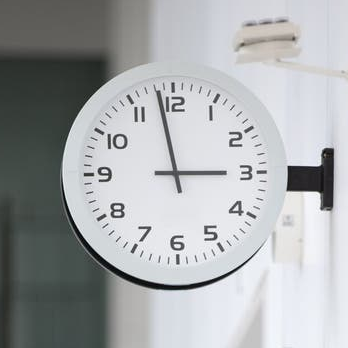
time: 2:58
